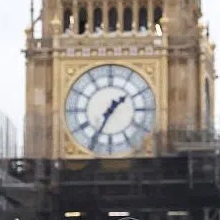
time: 1:34
